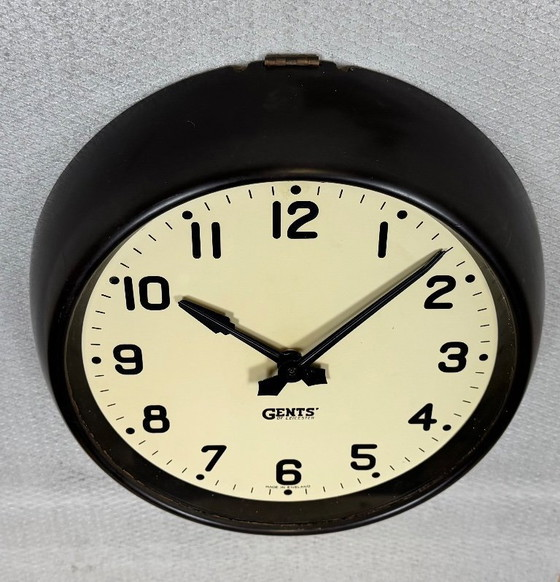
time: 10:07
